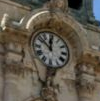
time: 11:51
